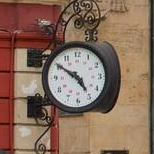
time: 4:50
